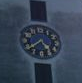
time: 4:38
